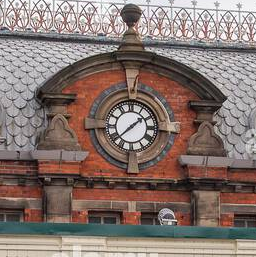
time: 1:37
